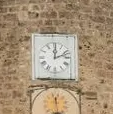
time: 12:11
